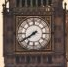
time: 7:40
